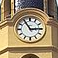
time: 2:54
